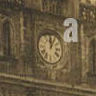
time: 12:05
